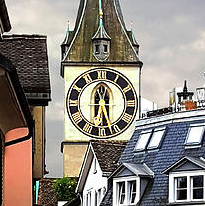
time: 6:27
